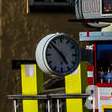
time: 4:52
